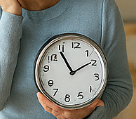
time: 1:54
